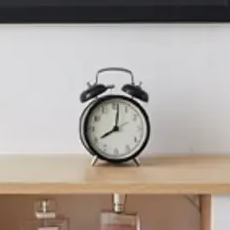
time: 8:01
